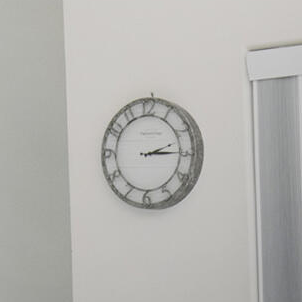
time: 2:14
